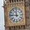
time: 11:46
